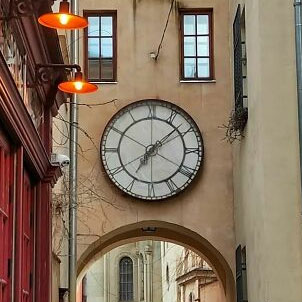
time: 7:08
